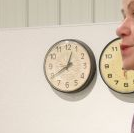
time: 12:39
